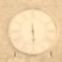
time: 5:30
